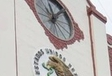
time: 12:07
